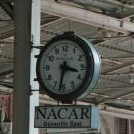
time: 3:32
